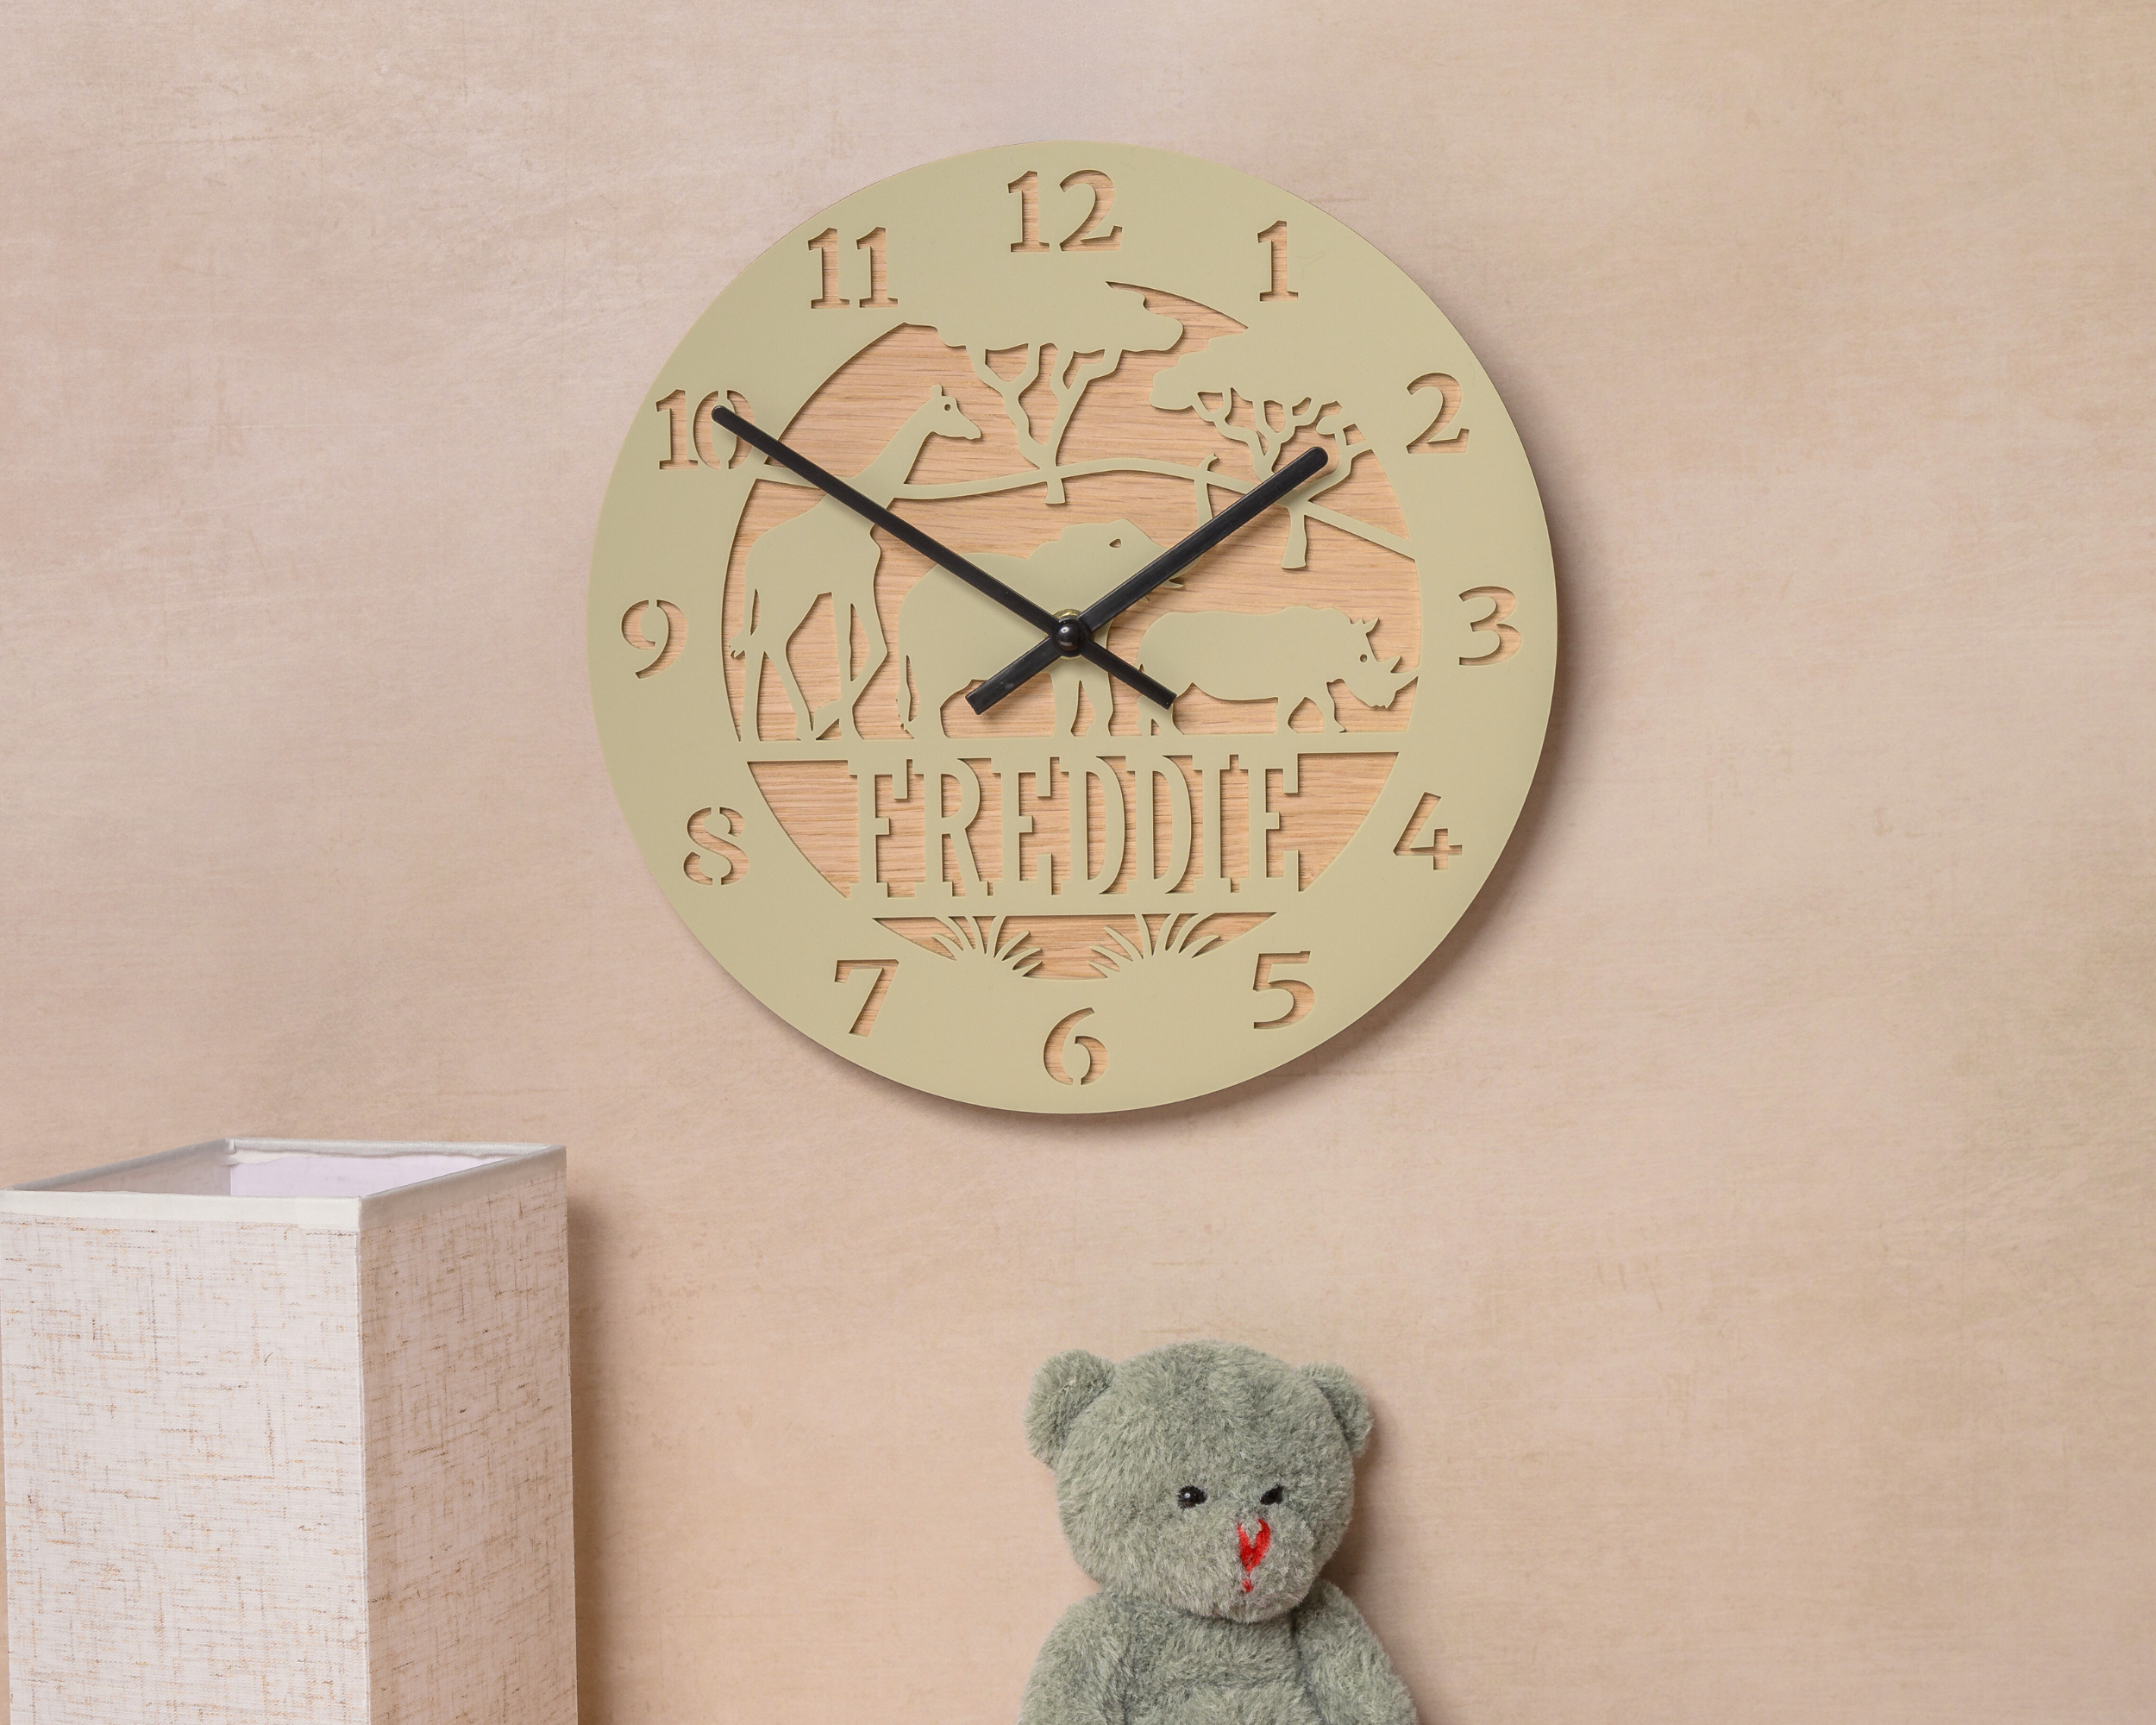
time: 1:50
